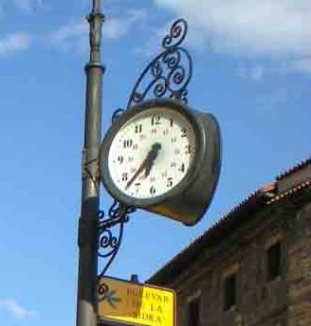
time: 6:37
